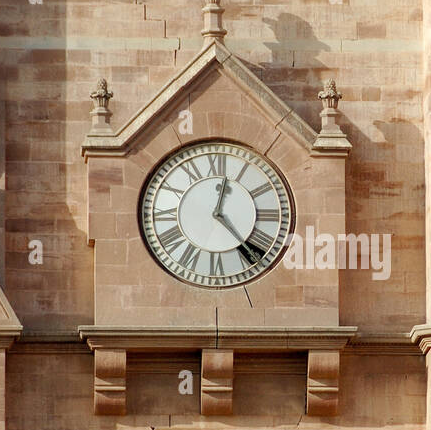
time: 12:23
